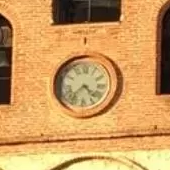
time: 4:37
